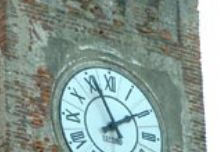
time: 1:56
